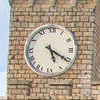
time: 5:20
